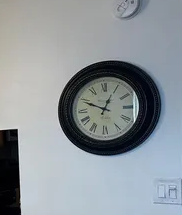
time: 12:49
